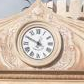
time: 12:49
